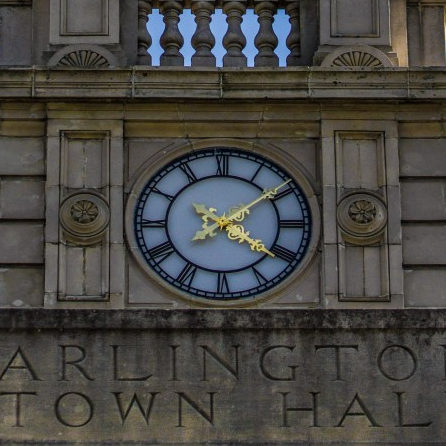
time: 4:09
